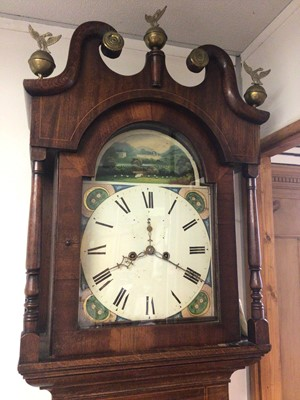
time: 8:19
